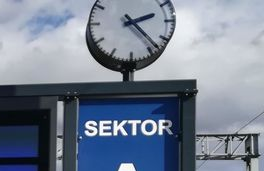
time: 2:23
